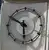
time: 5:49
